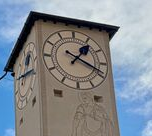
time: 1:18
